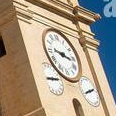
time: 3:16
